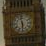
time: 5:58
